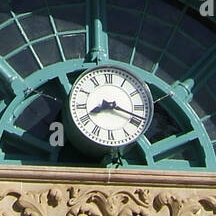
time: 8:18
